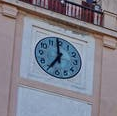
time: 6:59
